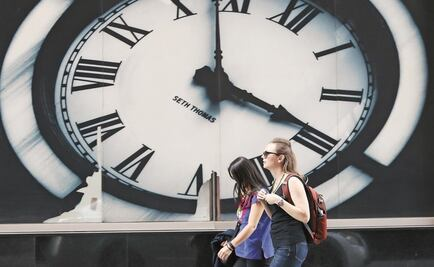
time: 3:58
